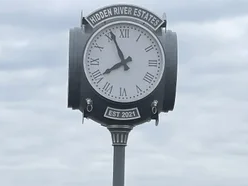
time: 7:55
